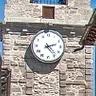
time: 2:23
